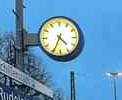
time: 4:34
